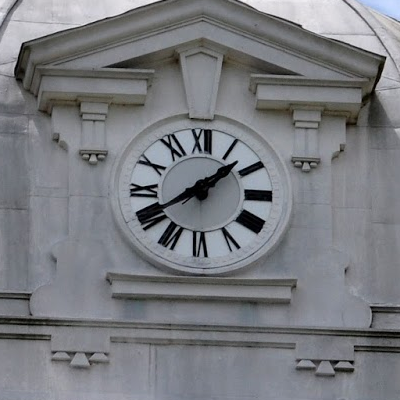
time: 1:39
